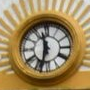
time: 11:32
